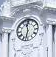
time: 11:32
